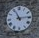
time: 11:14
